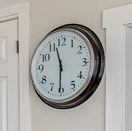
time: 11:30
